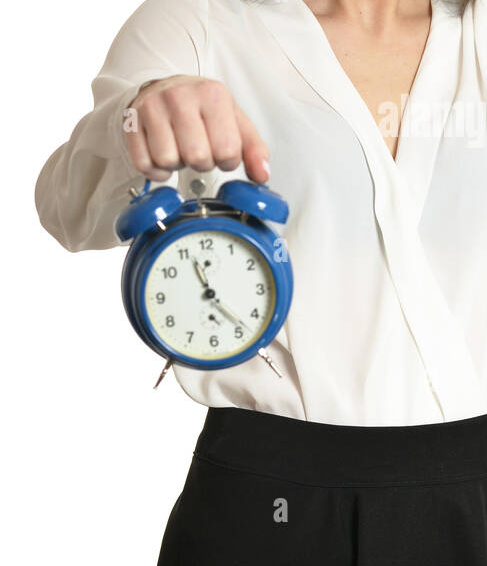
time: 11:23
